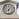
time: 6:06
